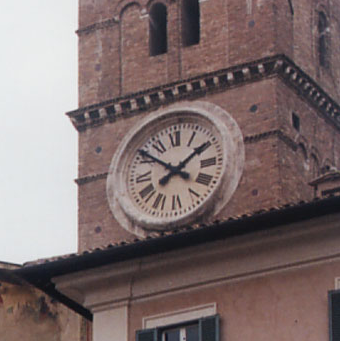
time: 1:51
